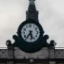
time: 5:36
